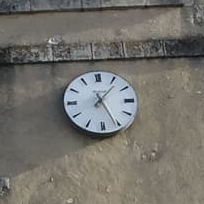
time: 1:25
